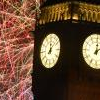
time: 12:07
